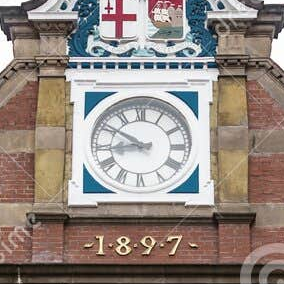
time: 8:50
